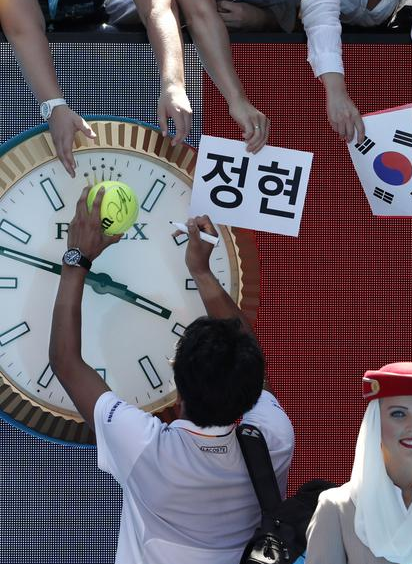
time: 3:47
